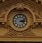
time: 3:12
